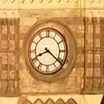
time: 8:21
